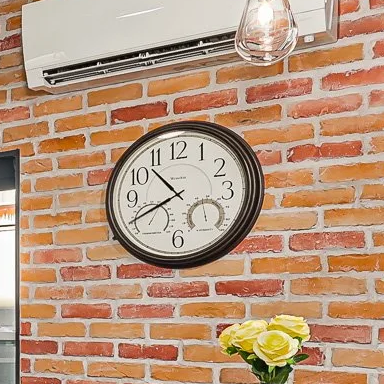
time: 10:40
